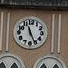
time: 11:25
